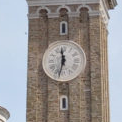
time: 11:32
